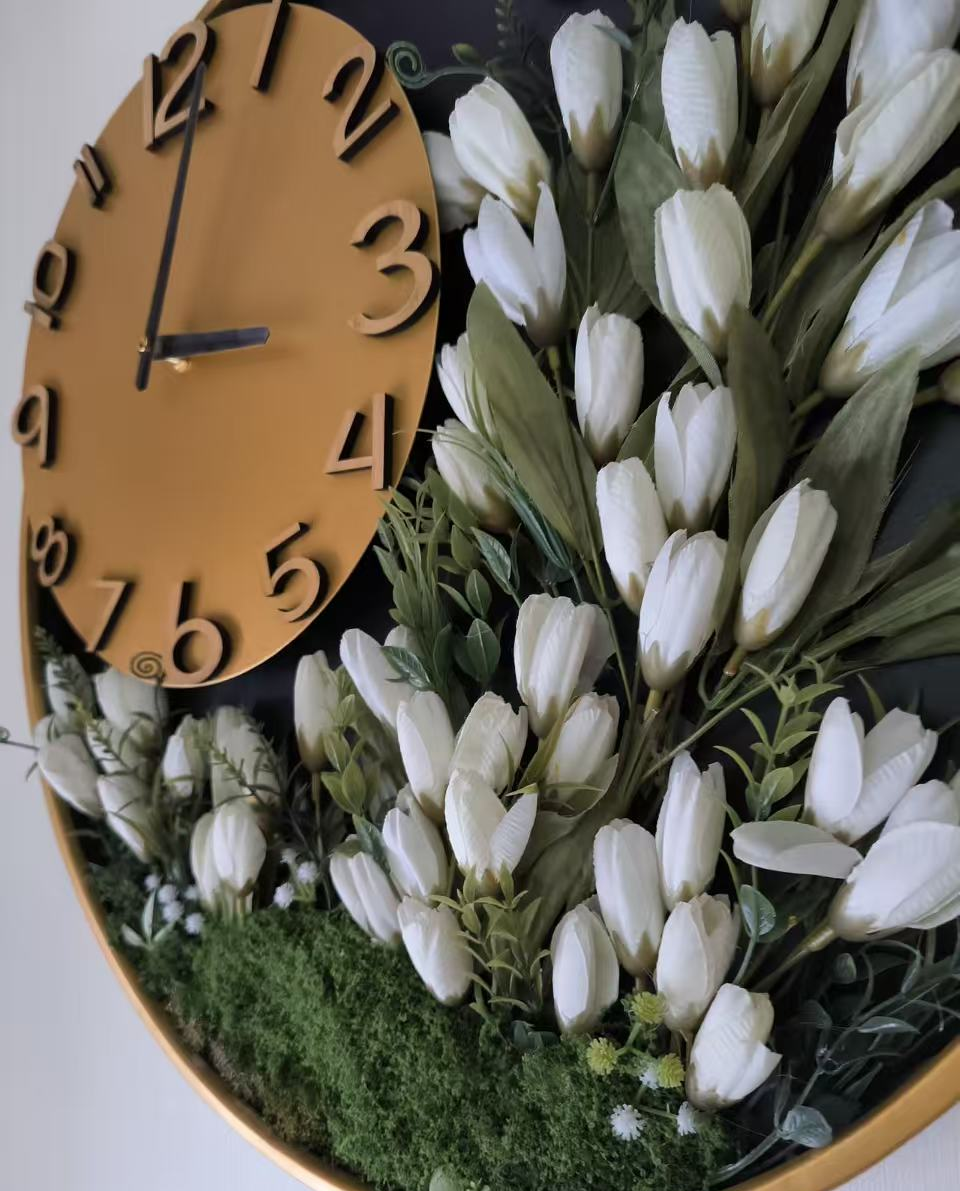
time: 3:02
